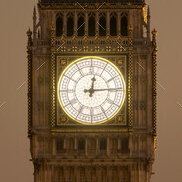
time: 12:14
